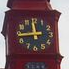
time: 11:44
